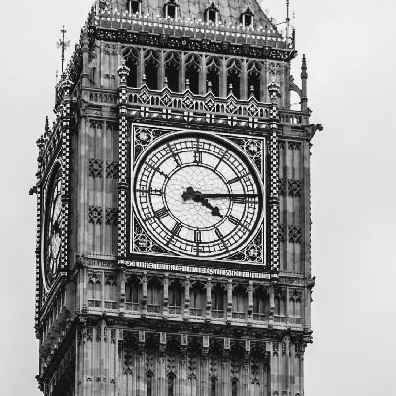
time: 4:13
